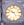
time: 4:49
